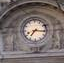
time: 7:15
